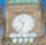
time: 10:33
